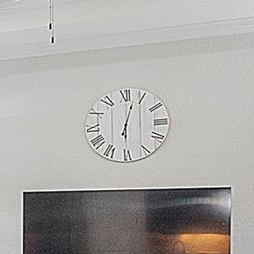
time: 6:02
